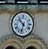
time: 10:32
